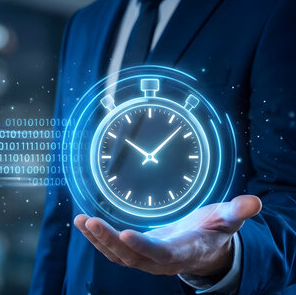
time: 10:07
